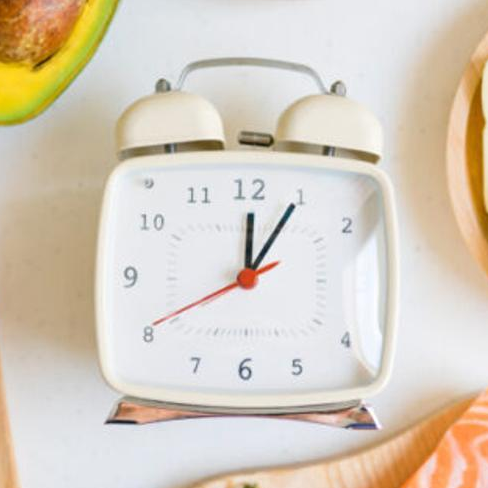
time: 12:05
